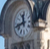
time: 11:42
